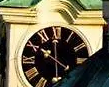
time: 11:50
